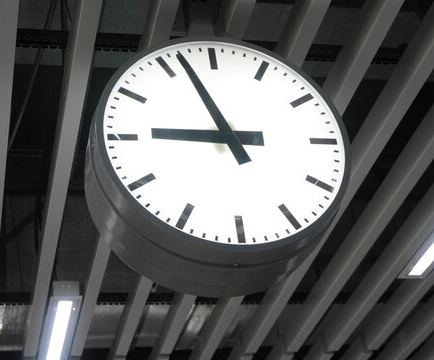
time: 8:56
